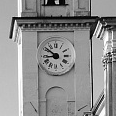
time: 8:51
